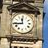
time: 11:43
